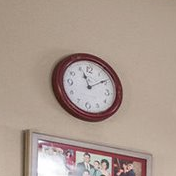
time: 11:09
